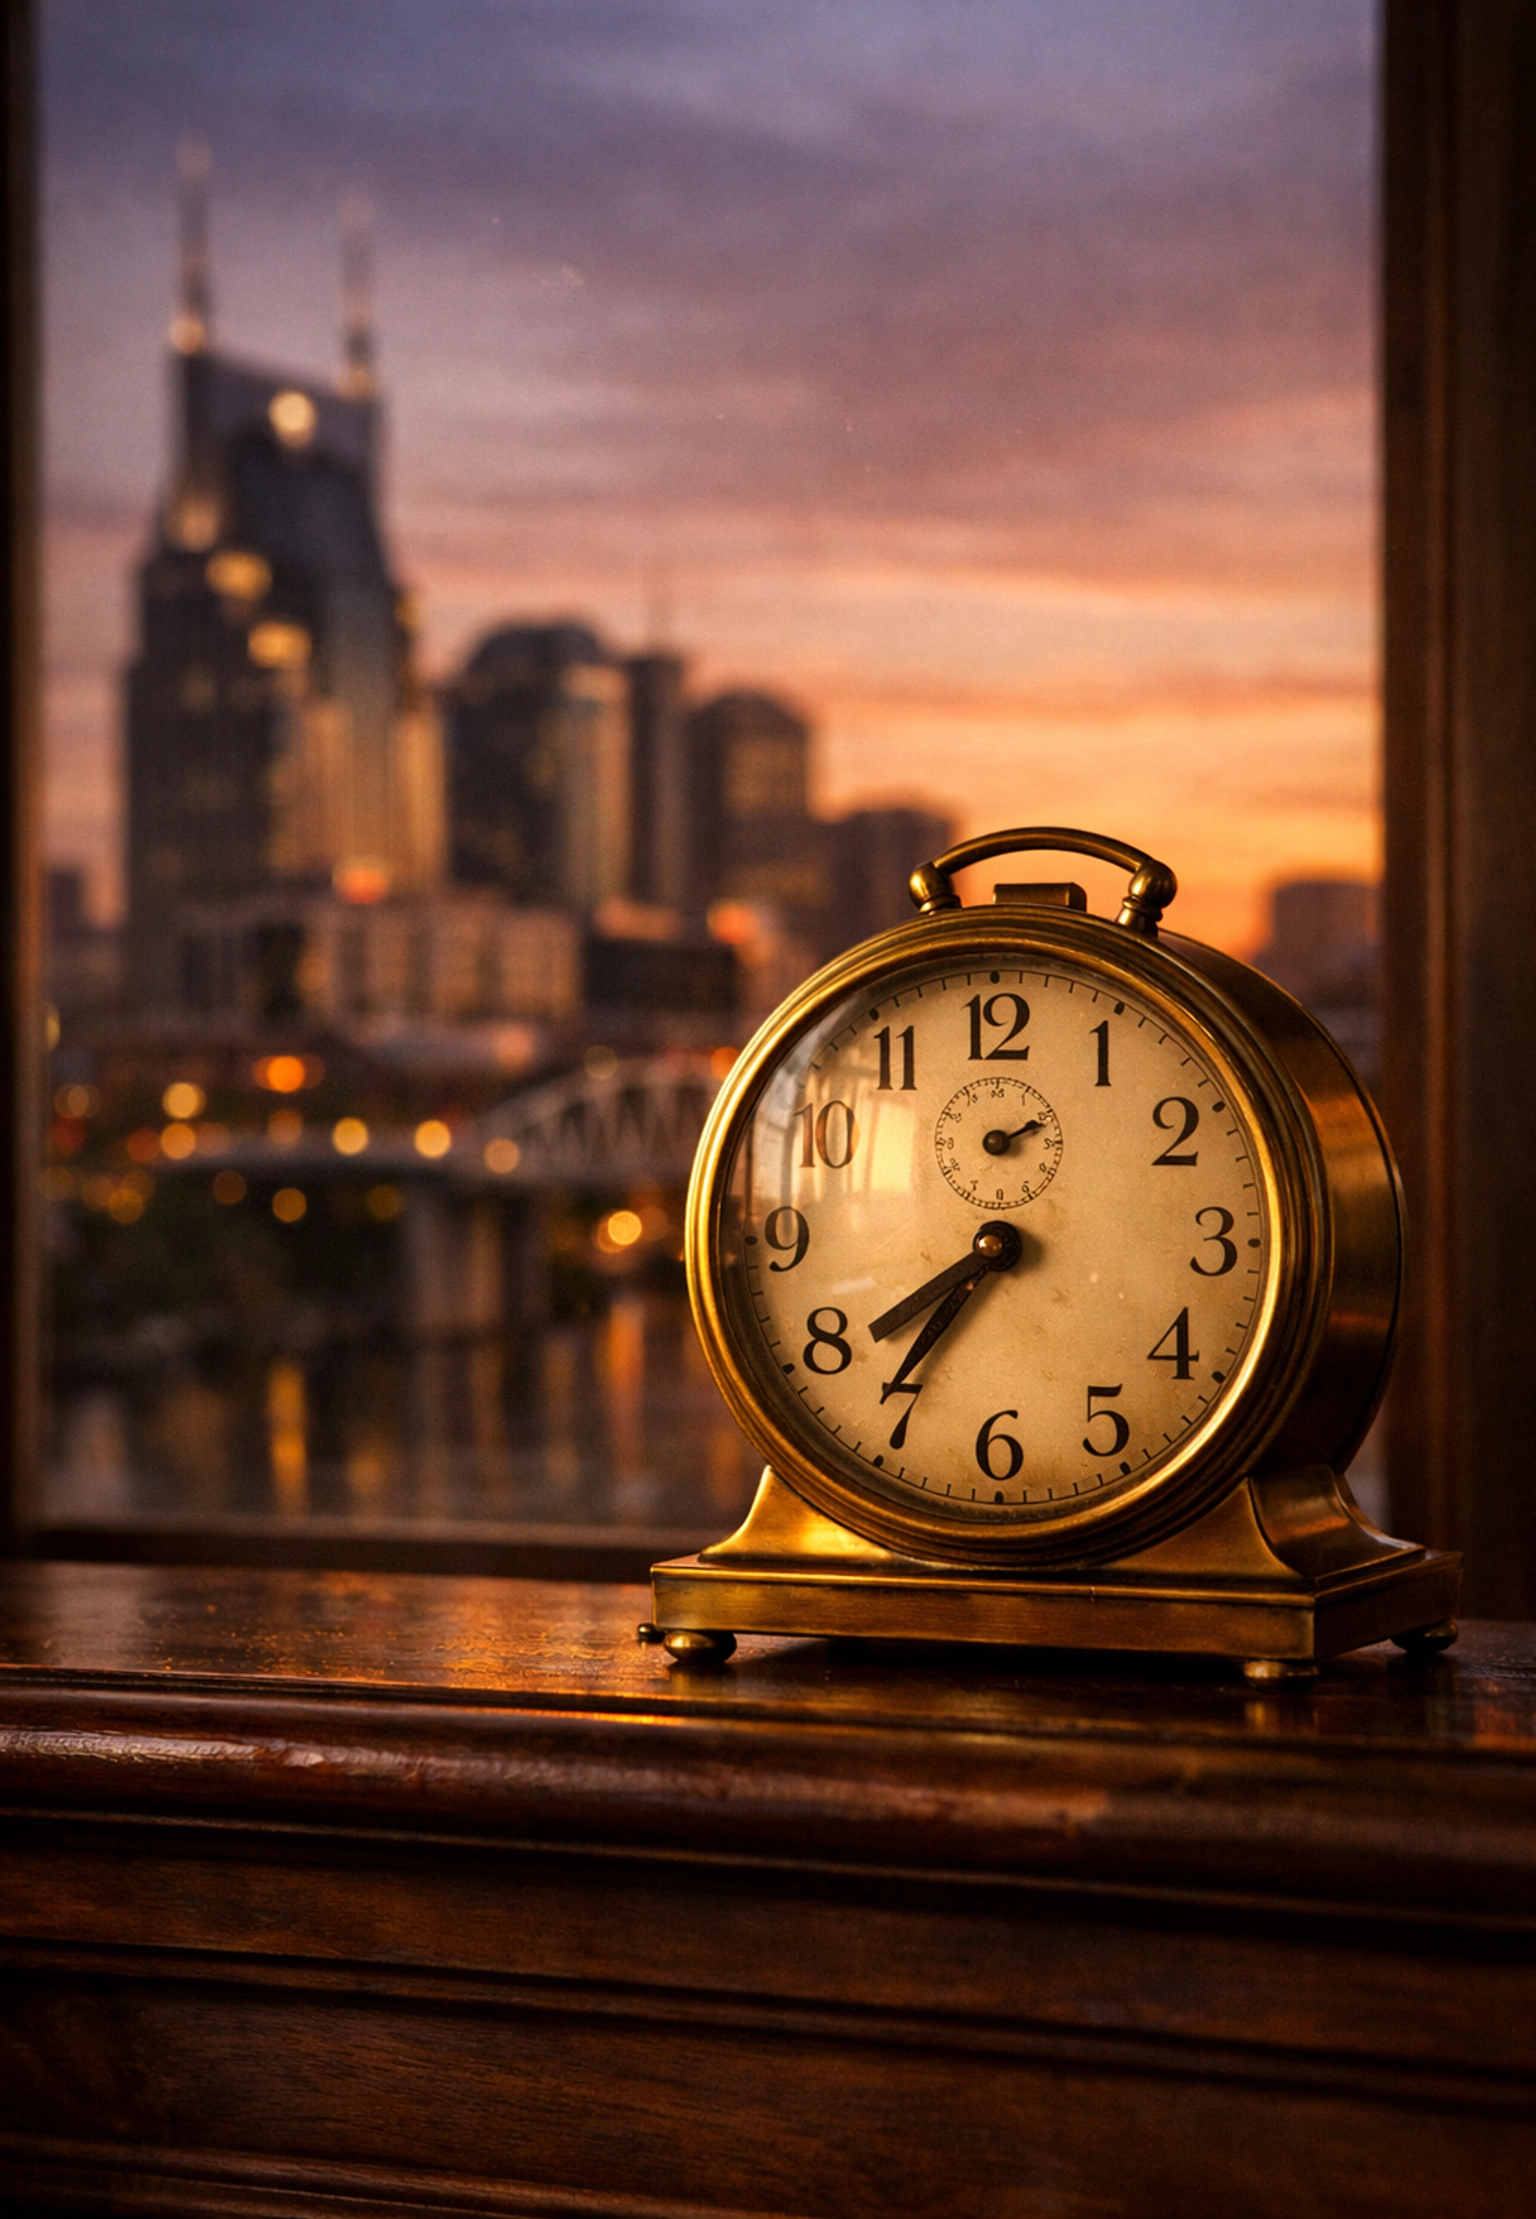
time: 7:35
